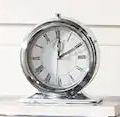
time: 12:10
